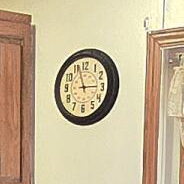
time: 2:56
